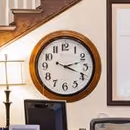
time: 2:18
